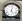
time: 5:02
